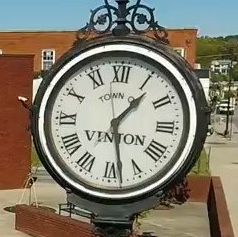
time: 1:28
